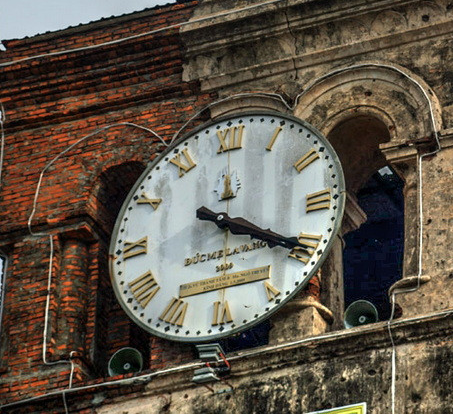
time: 4:20
